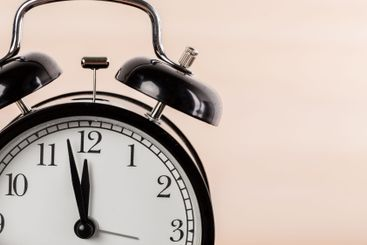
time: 11:57
